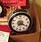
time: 7:20
